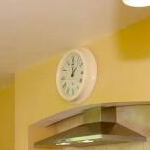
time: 12:07
